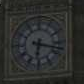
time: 6:17
